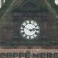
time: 2:48
